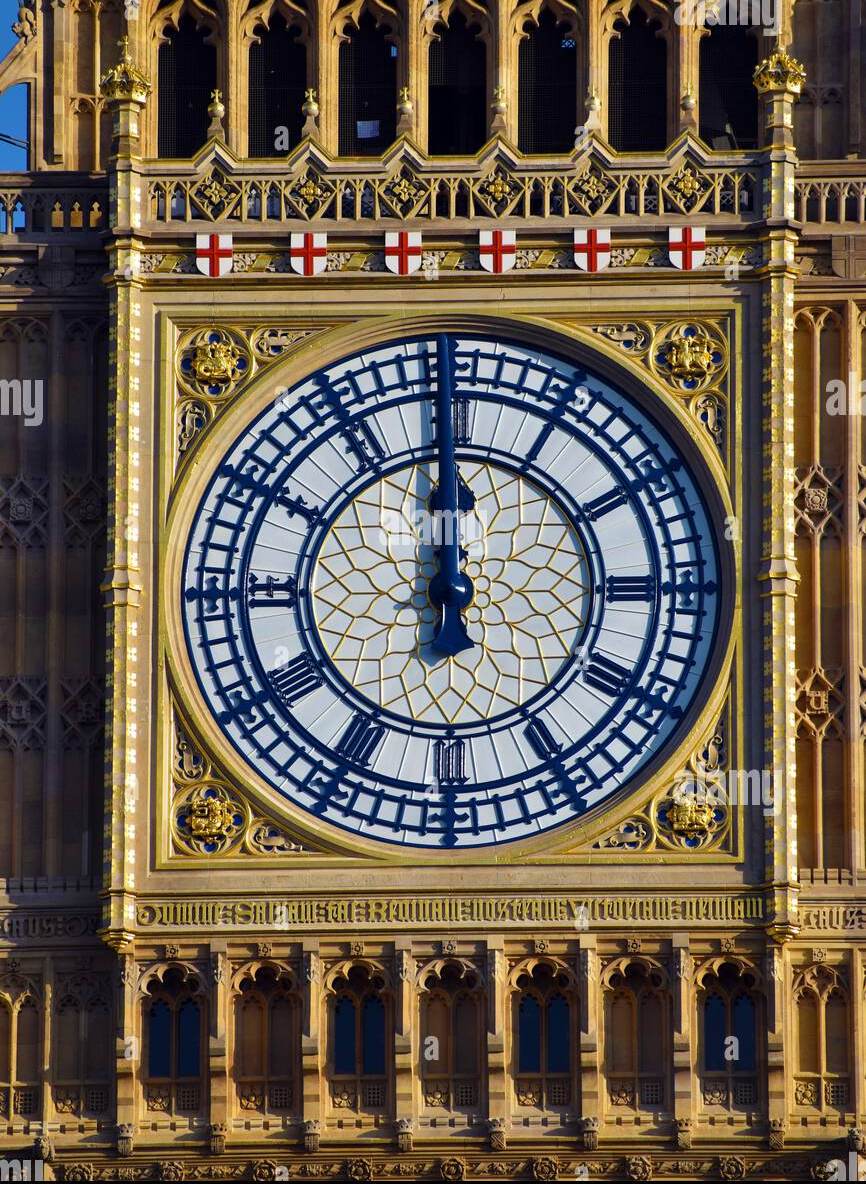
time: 11:59
